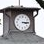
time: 3:14
